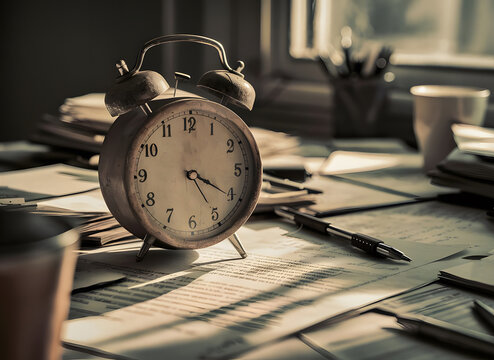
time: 4:20
